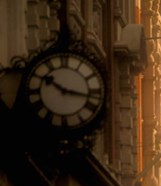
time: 10:17
